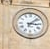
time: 3:07
